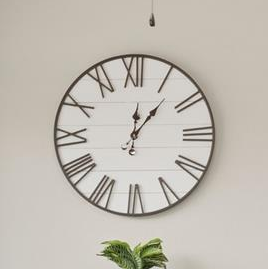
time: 12:06
